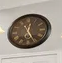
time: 12:25
